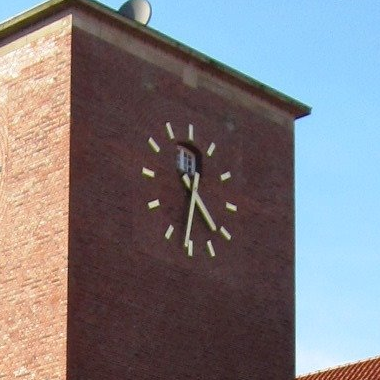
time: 4:31
